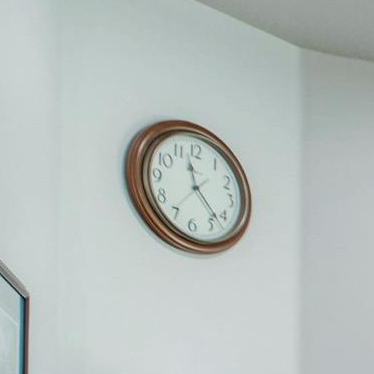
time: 11:22
